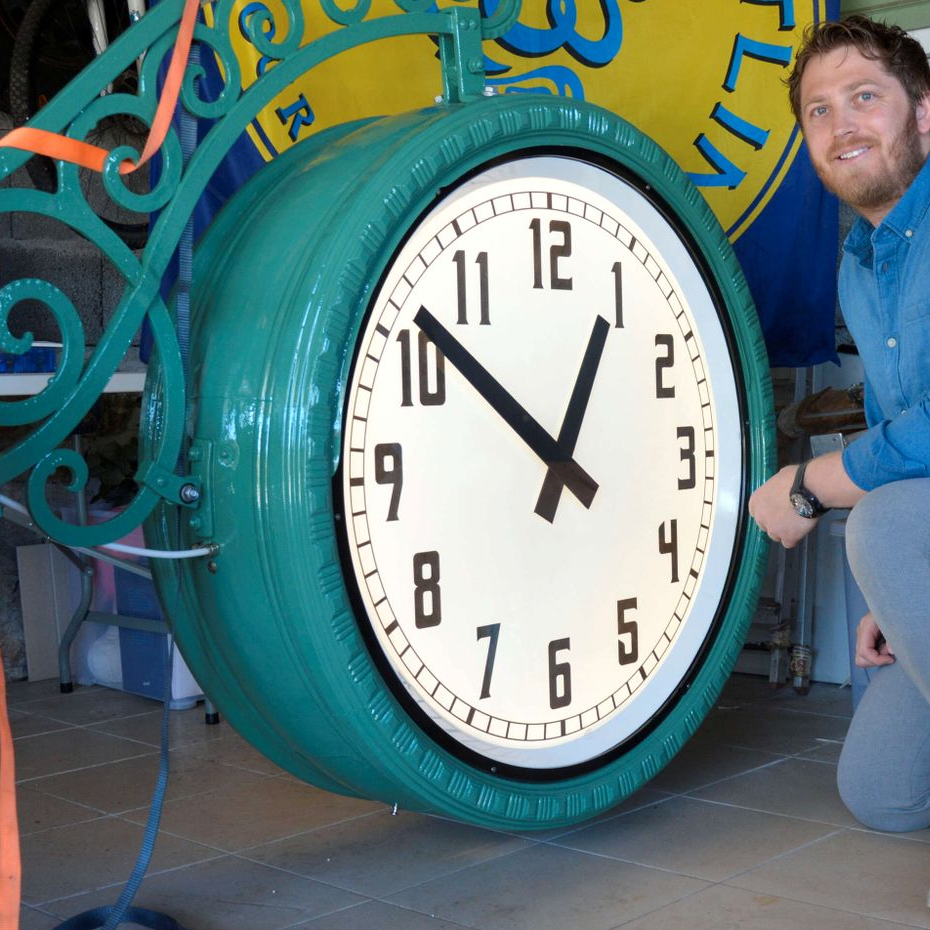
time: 12:51
